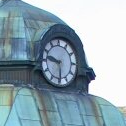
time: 9:29
